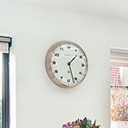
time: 1:27
